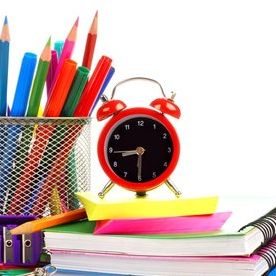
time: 8:30
